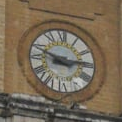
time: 2:48
